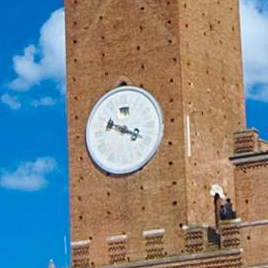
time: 3:48
